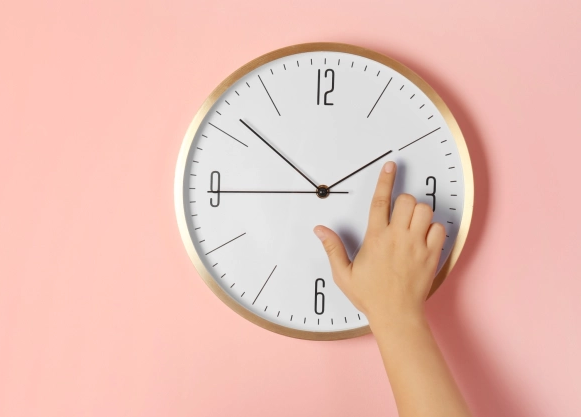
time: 1:51
